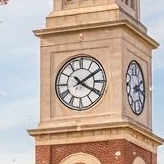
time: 4:09
